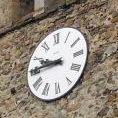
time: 9:45
